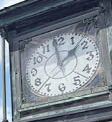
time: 1:59
